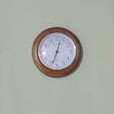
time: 12:33
